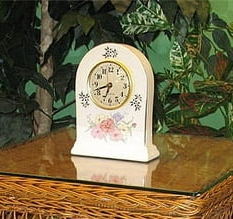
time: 6:41
